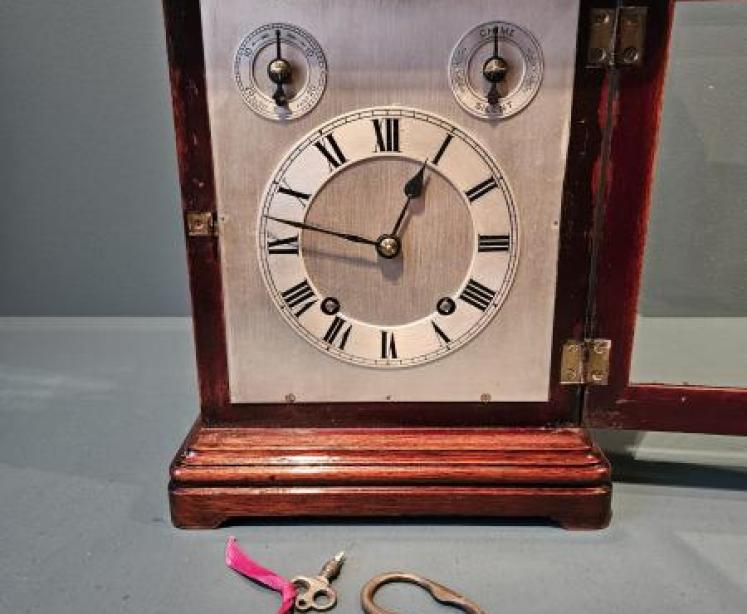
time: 12:47
